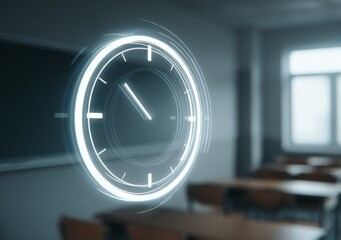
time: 10:52
